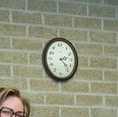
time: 2:23
